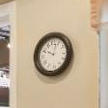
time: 10:02
